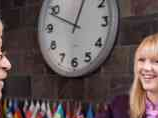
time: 12:48
